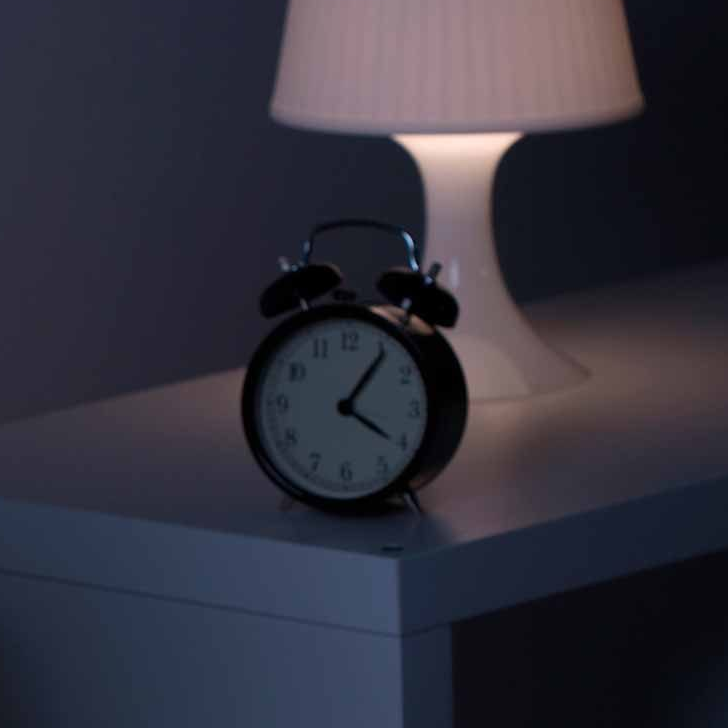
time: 4:05
